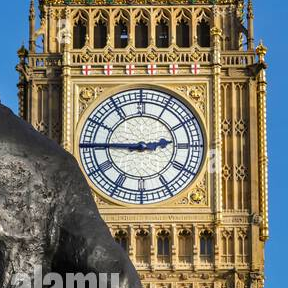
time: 2:45
